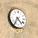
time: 4:35
